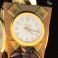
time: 4:16
